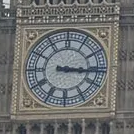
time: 3:16
